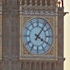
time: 4:06
